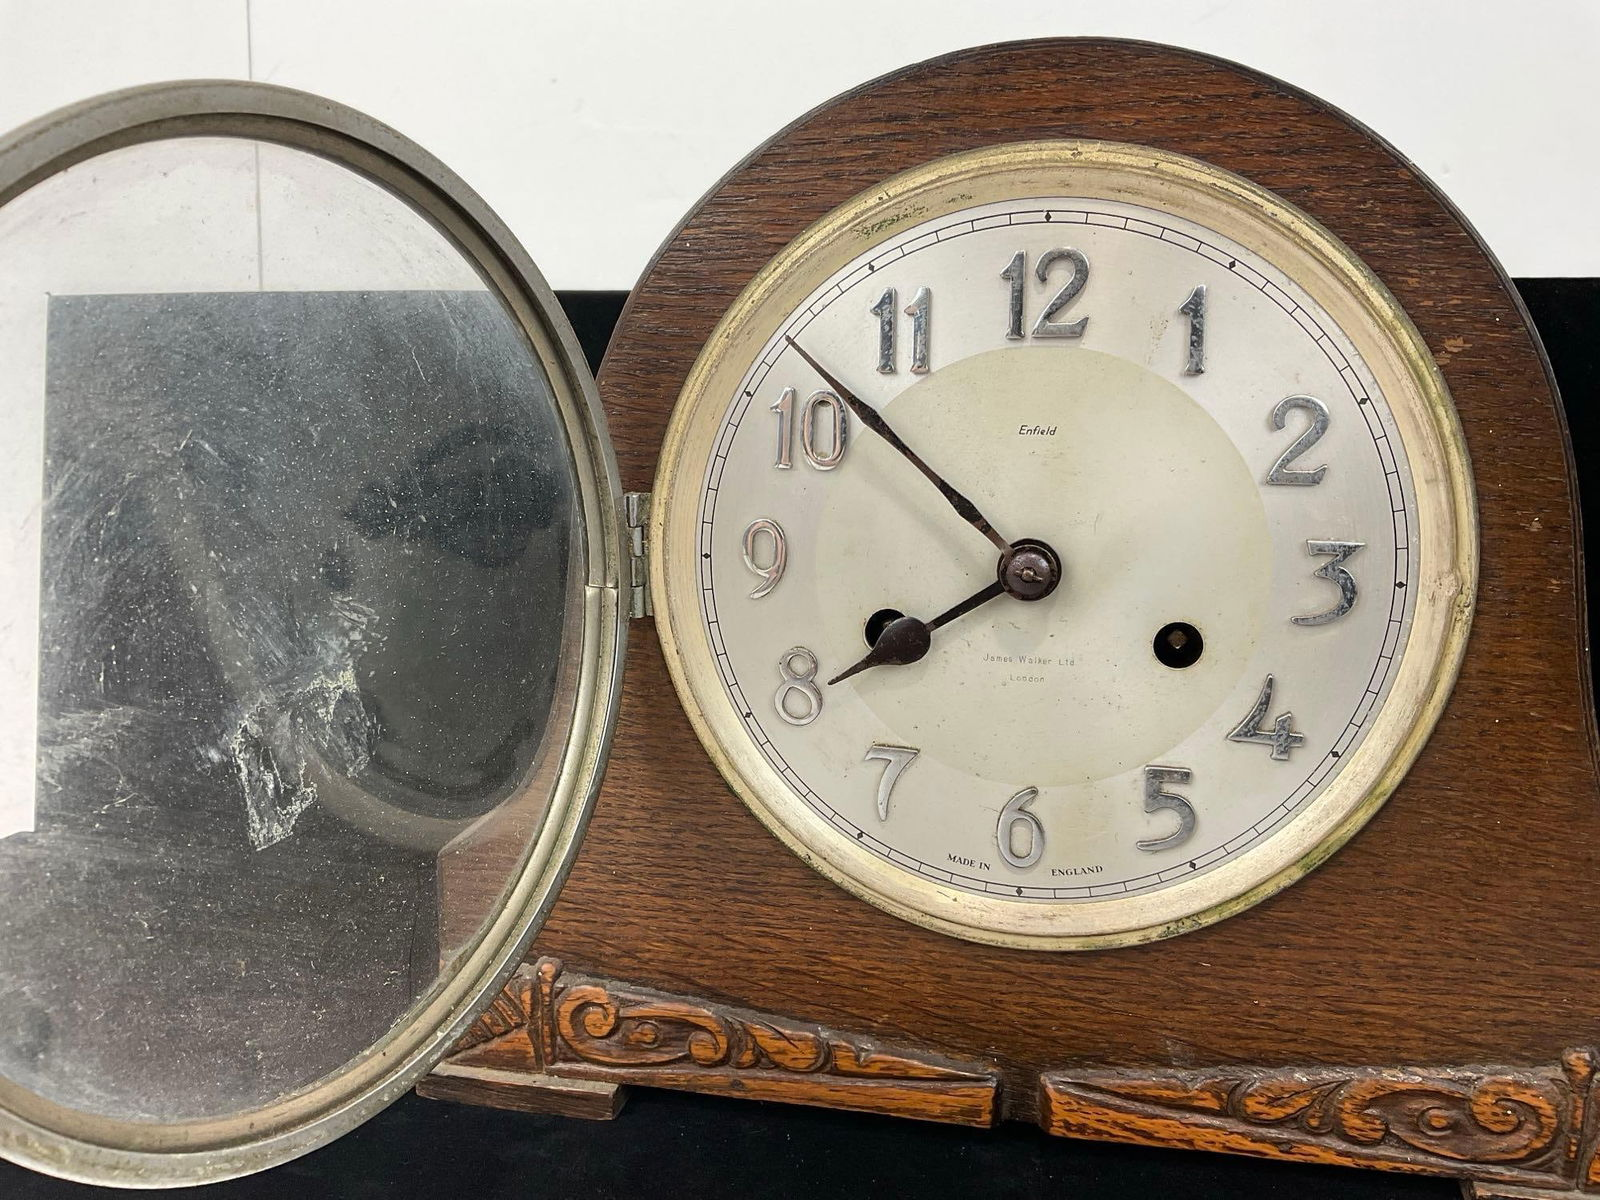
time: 7:52
